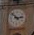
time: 2:52
